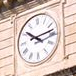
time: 10:13
